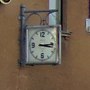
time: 3:14
